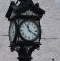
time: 11:20
